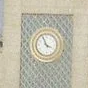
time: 3:56
